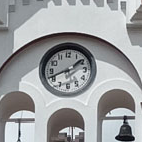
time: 1:41
